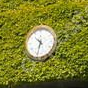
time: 10:32
